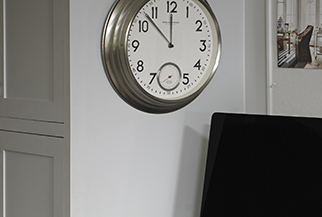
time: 11:52
